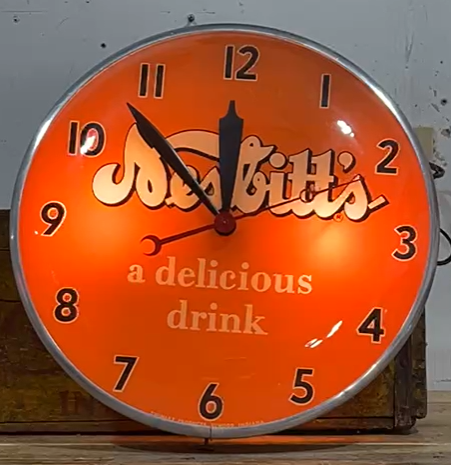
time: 11:52
